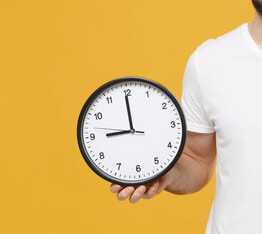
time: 8:59
